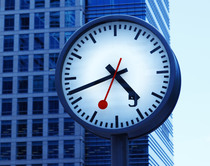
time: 4:42
